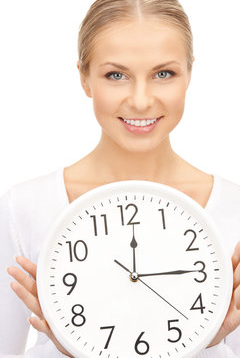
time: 12:14
